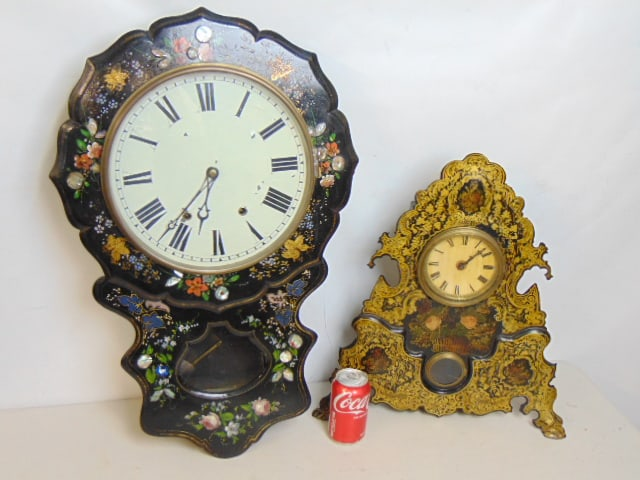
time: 6:36
